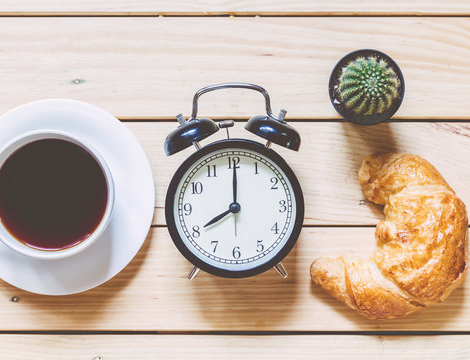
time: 8:00
